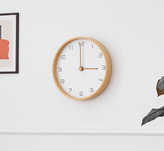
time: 2:59
